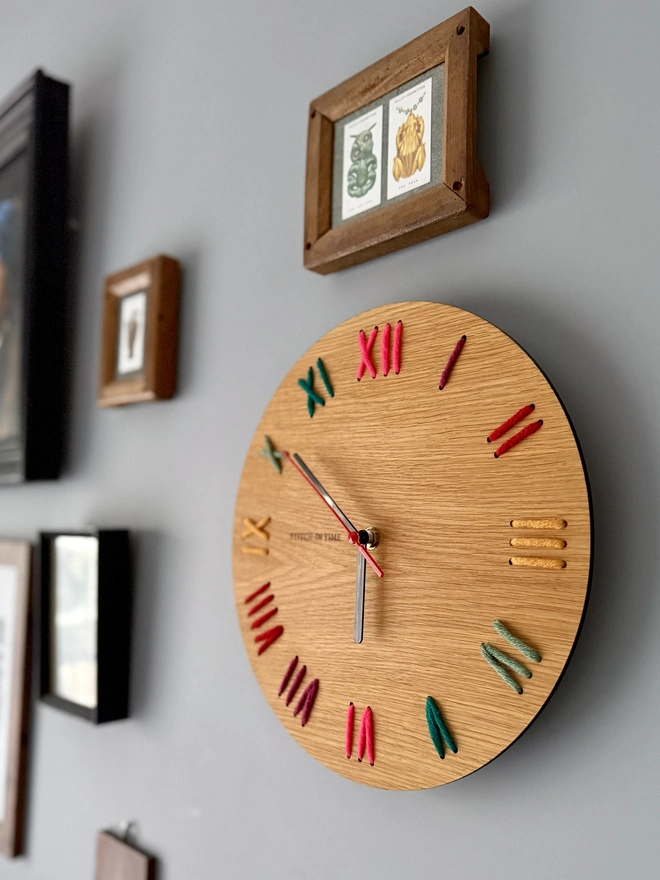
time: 5:50
